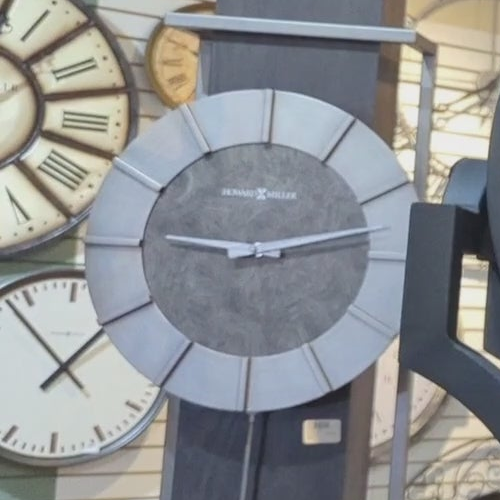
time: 9:12
